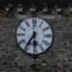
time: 5:35
